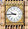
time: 9:44
